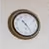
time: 10:24
